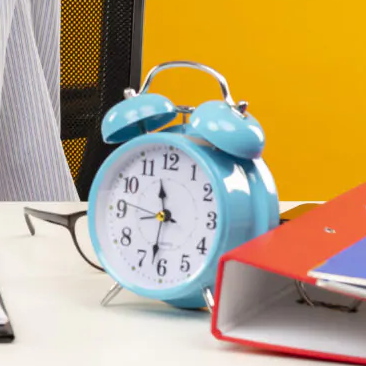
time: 11:31
